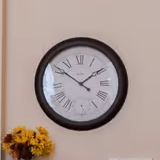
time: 1:50
